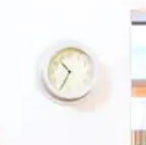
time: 10:34
